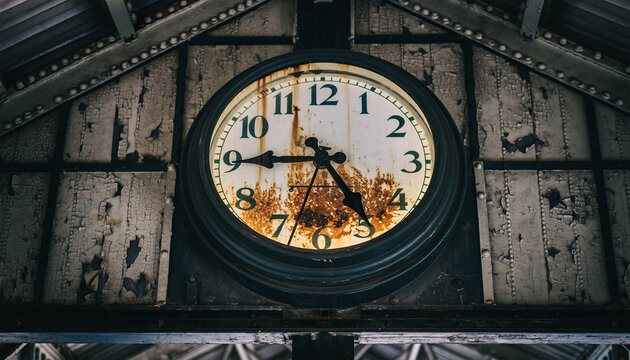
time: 4:45
